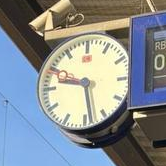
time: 9:28
